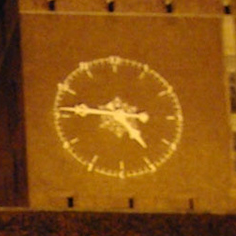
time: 4:46
